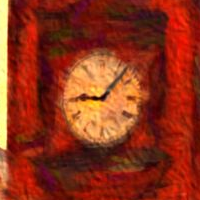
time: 9:07
